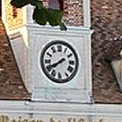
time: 7:40
